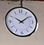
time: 10:08
